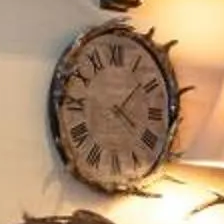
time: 4:07
